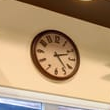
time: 2:23
